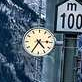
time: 4:35
